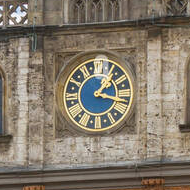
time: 1:16
